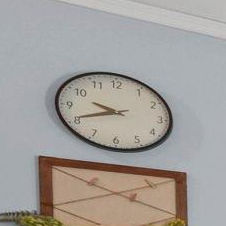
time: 9:41
